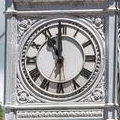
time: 10:59
